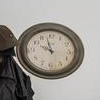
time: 9:57
